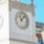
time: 11:07
